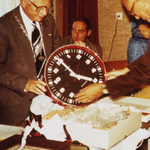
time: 2:50
